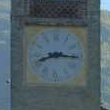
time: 8:15
